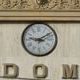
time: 9:09
